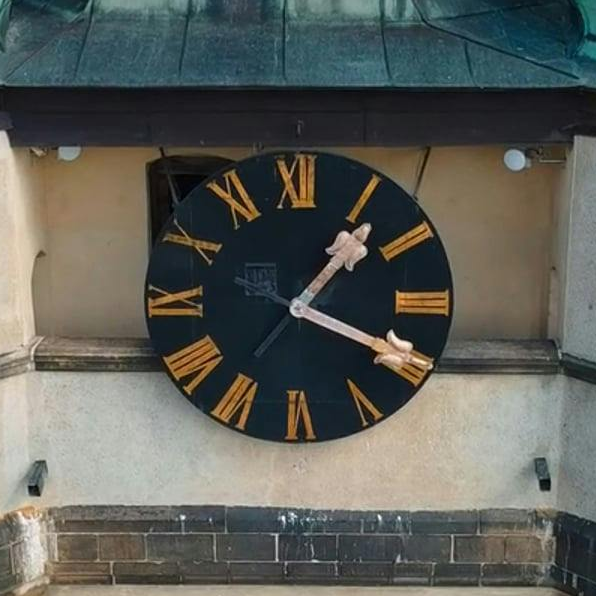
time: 1:19
